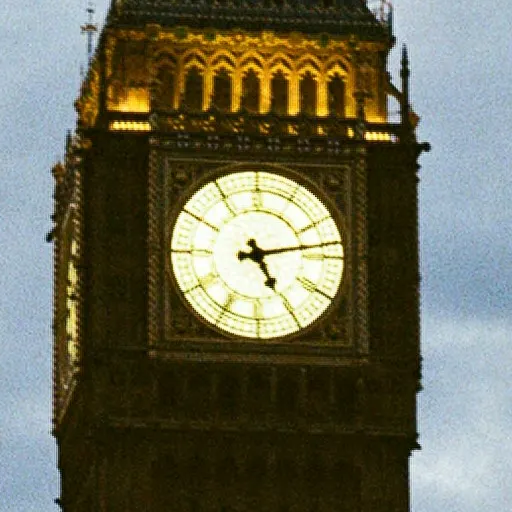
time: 5:13
